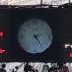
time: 2:24
